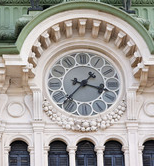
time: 3:36
